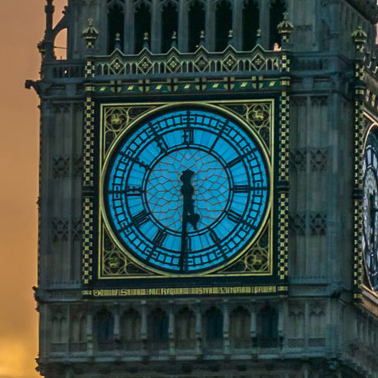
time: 5:30
